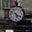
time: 5:19
